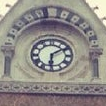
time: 6:09
